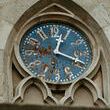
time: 12:18
